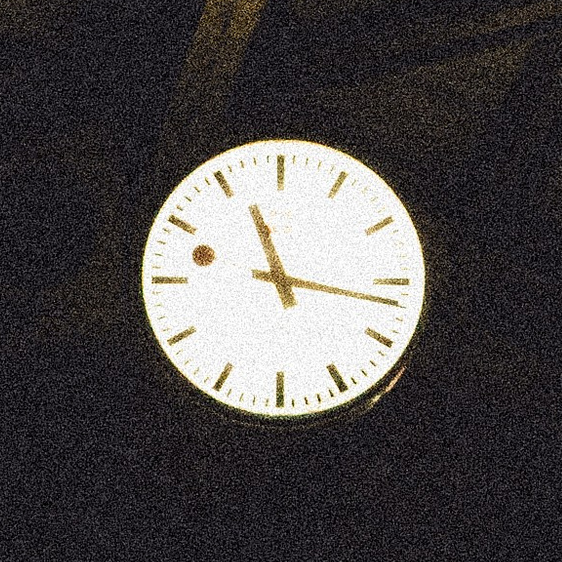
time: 11:16
